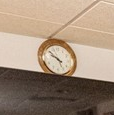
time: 9:51
